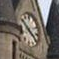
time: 10:22
